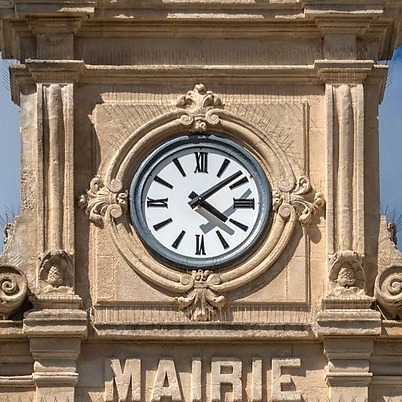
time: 4:08
